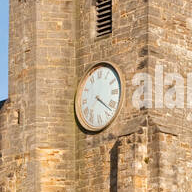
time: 4:21
